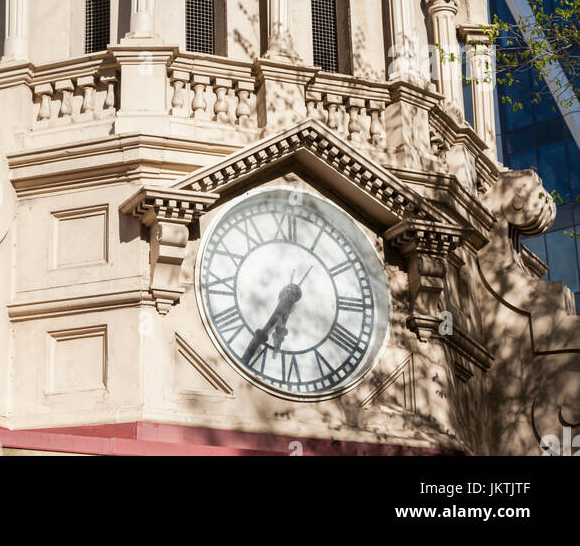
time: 6:35
